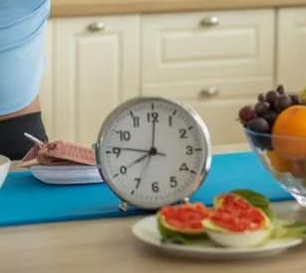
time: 8:00
